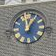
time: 12:05
